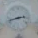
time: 2:42
